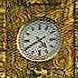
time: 4:39
